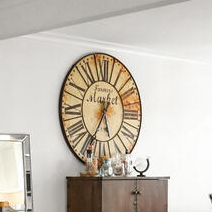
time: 5:34
